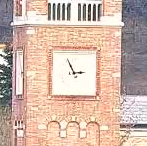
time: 2:55
